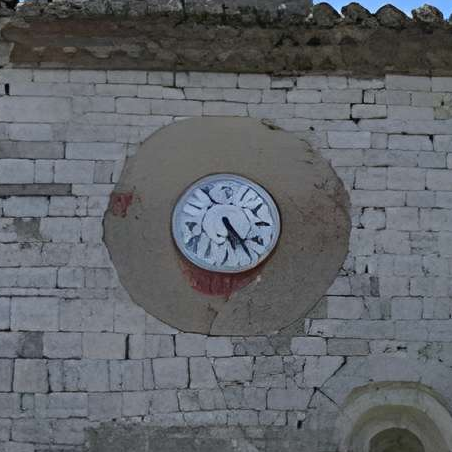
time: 5:23
